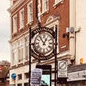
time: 12:53
